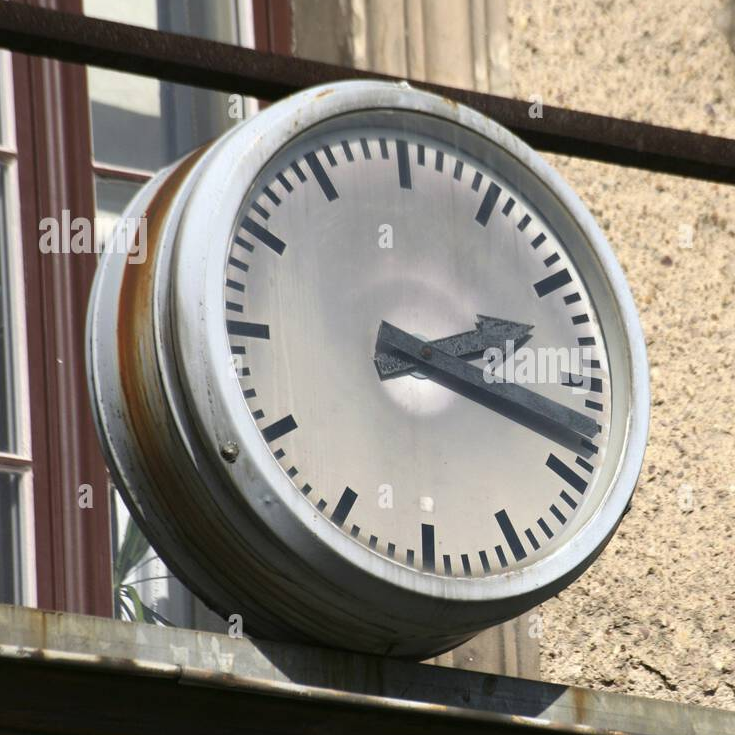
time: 2:18
